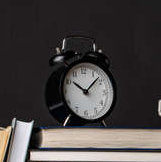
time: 10:07
